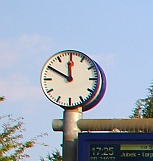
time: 11:49
